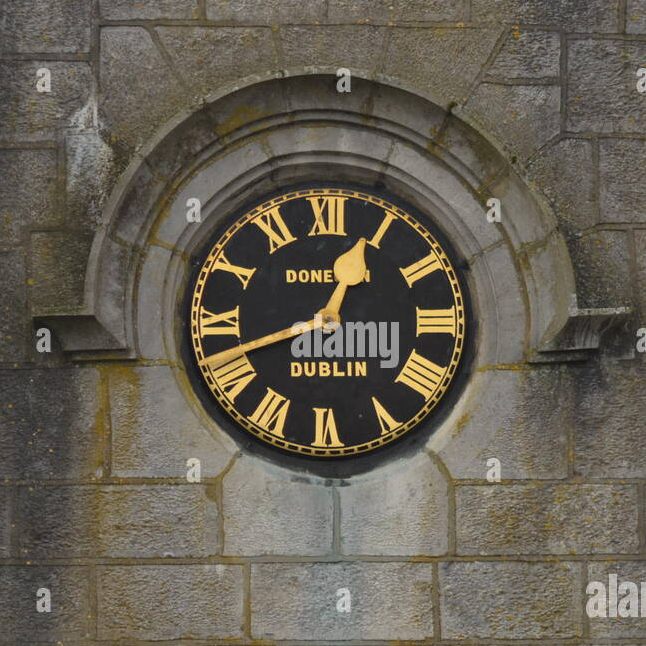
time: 12:41
